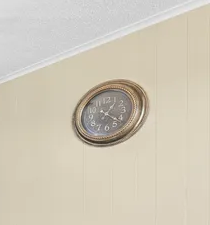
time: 1:21
